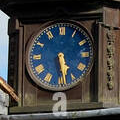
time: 5:28
